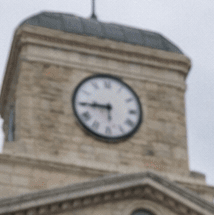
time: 5:45
